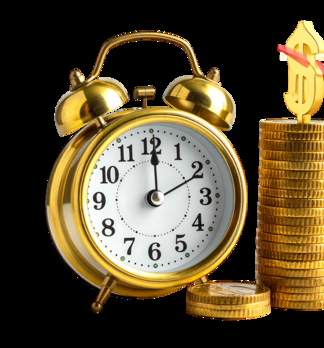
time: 2:00
